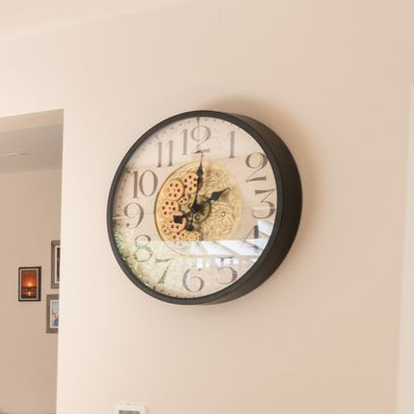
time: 8:01
